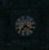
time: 7:21
